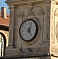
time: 5:03
